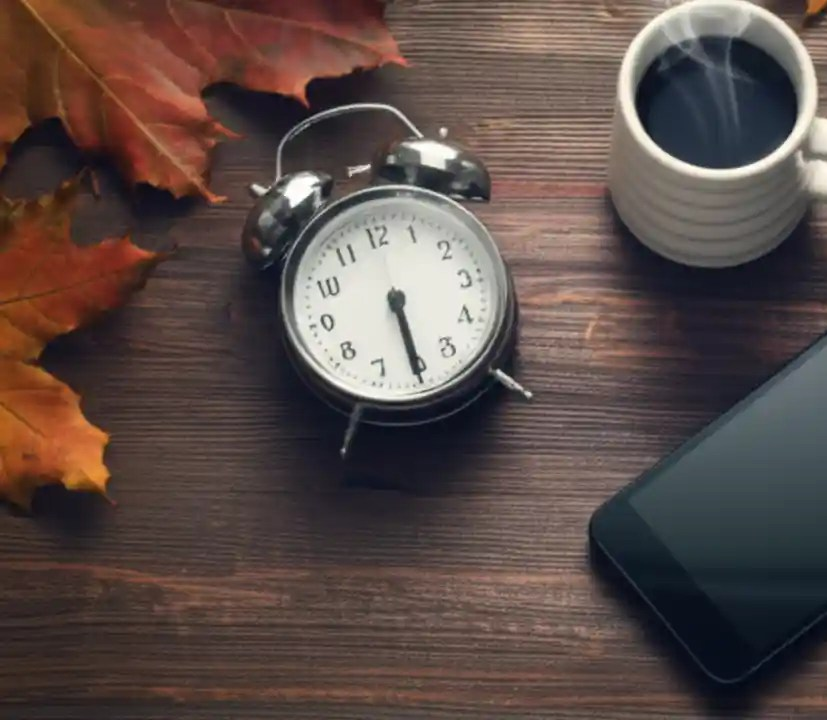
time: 6:30
